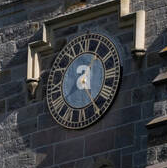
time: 7:25
